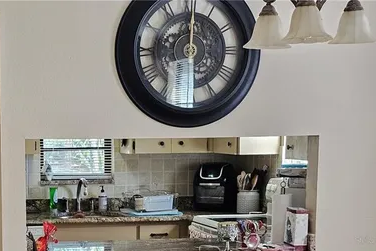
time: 6:00
